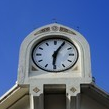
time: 6:04
